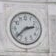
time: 2:38
